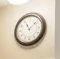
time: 11:07
